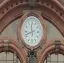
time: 11:41
